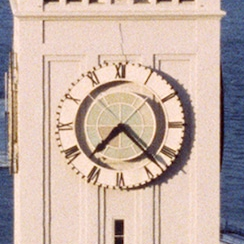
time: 7:22
